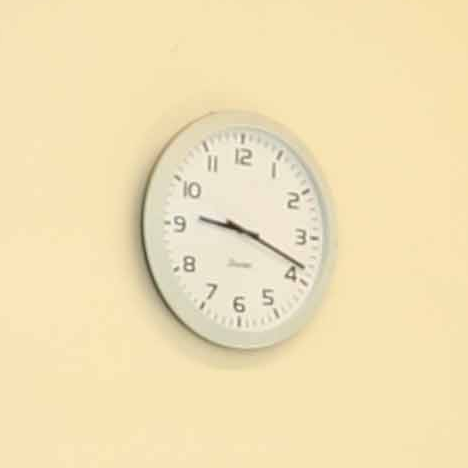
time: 9:18
